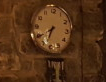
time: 7:33
